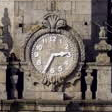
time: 2:34
